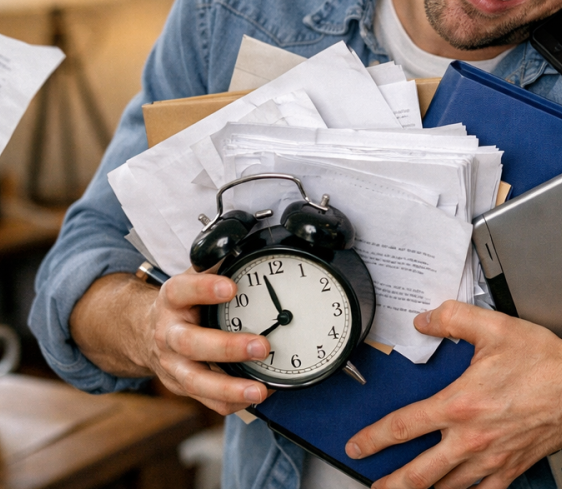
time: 7:57
